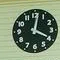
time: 4:01
